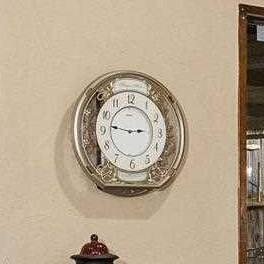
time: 2:46
